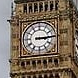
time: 3:14
